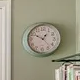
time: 12:49
